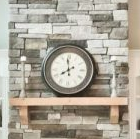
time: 7:58
